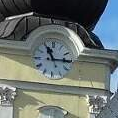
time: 11:14
